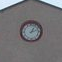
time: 1:12
